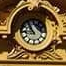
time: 10:45
